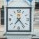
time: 7:23
